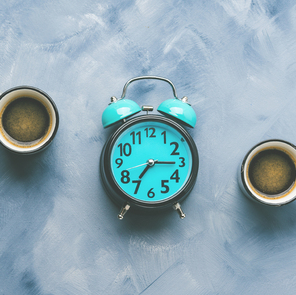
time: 7:15
